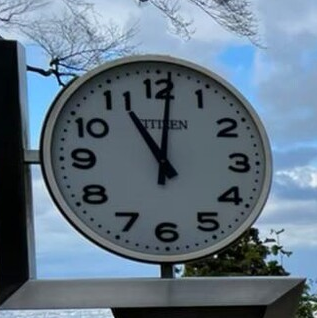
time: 11:01
